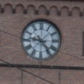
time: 9:23
